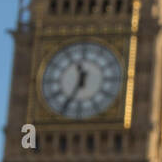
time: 11:34
